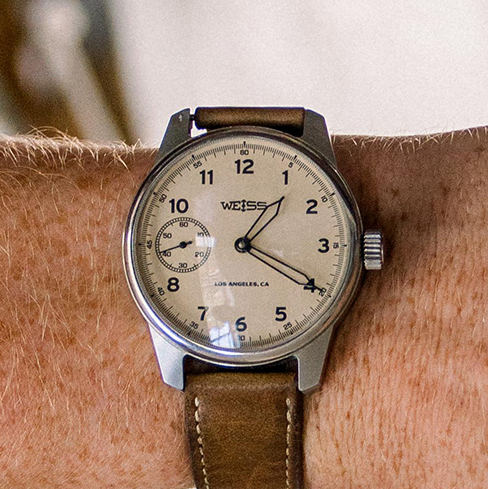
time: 1:19
